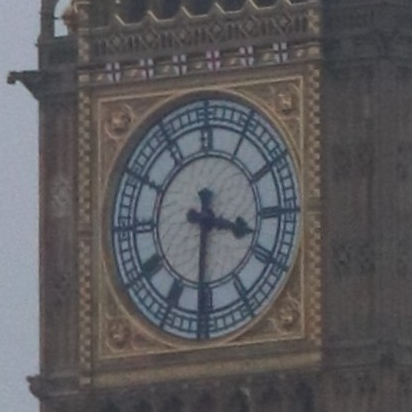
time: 3:31
